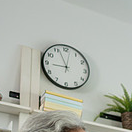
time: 8:56
